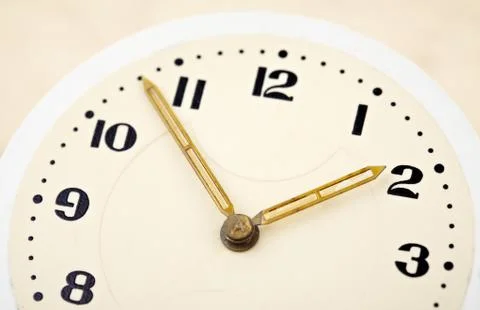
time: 1:53
